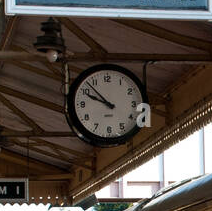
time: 9:53
